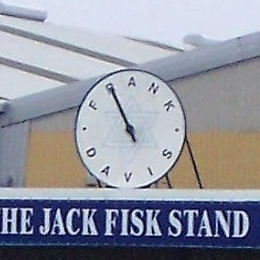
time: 10:55
